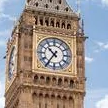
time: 10:35
